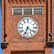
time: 4:33
